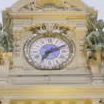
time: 7:11
